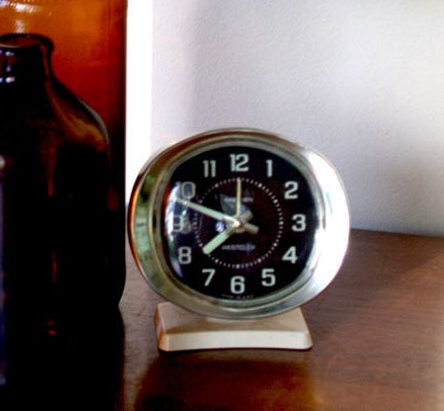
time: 7:48
